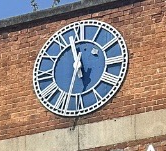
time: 11:32
